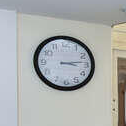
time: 3:13
